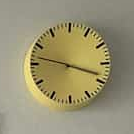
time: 3:47
